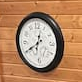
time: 12:40
